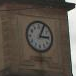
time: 3:04
